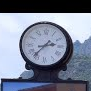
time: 2:36
